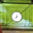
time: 7:37
